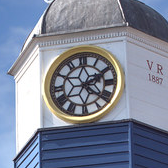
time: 2:21
